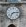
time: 7:13
